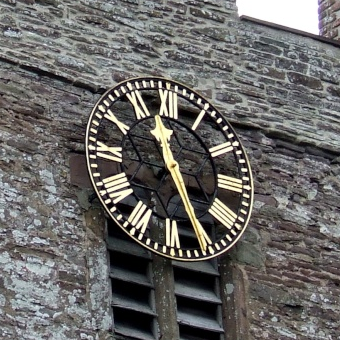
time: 11:25
